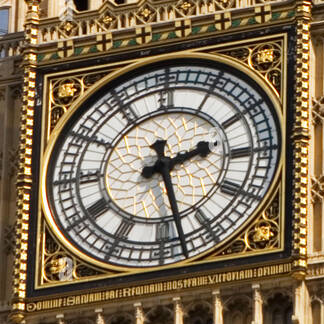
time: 2:27
